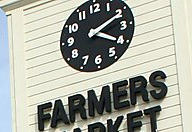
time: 4:10
